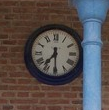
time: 7:29
